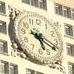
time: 5:18
